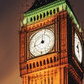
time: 11:41
